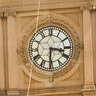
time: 3:30
